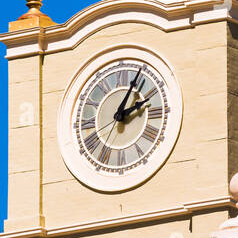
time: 2:04
